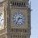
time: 2:35
